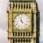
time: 11:21
